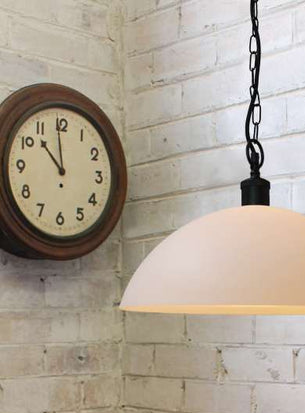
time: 10:59
